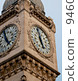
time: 5:59
